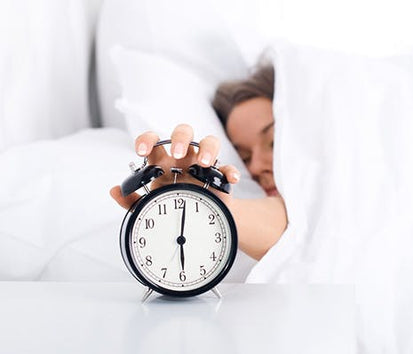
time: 6:01
